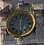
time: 12:28
